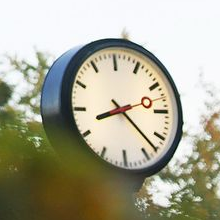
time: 8:22
